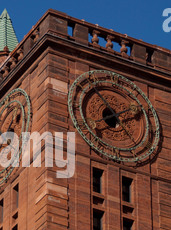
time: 1:53
